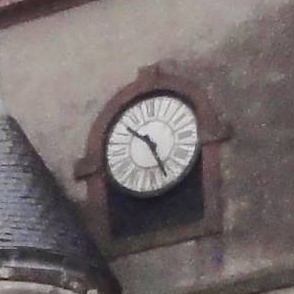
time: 10:26
